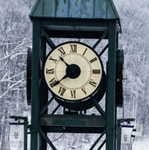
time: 10:38
